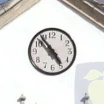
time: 4:53
